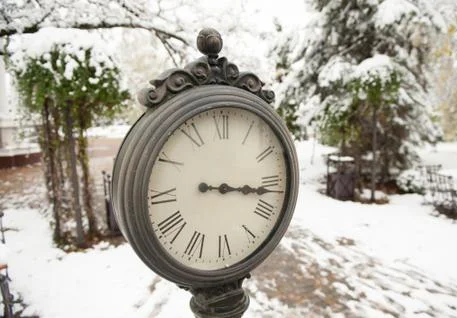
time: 3:16
